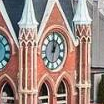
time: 1:00
